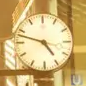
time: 4:47
